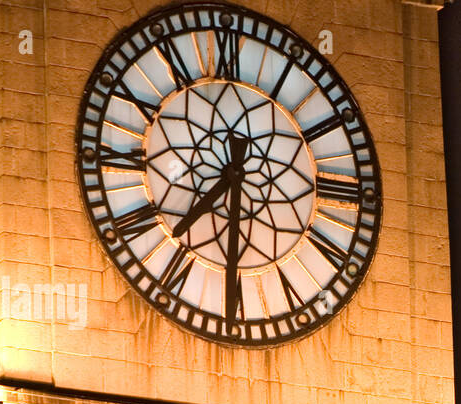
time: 7:30
